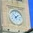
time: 1:52
